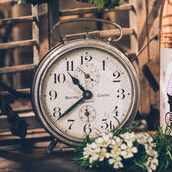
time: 10:38
